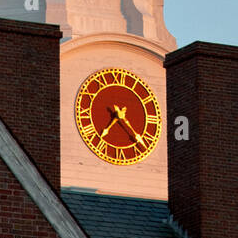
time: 7:22
